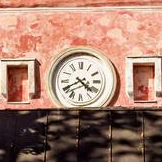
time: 4:40
